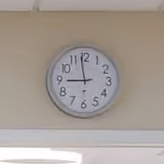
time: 8:58
